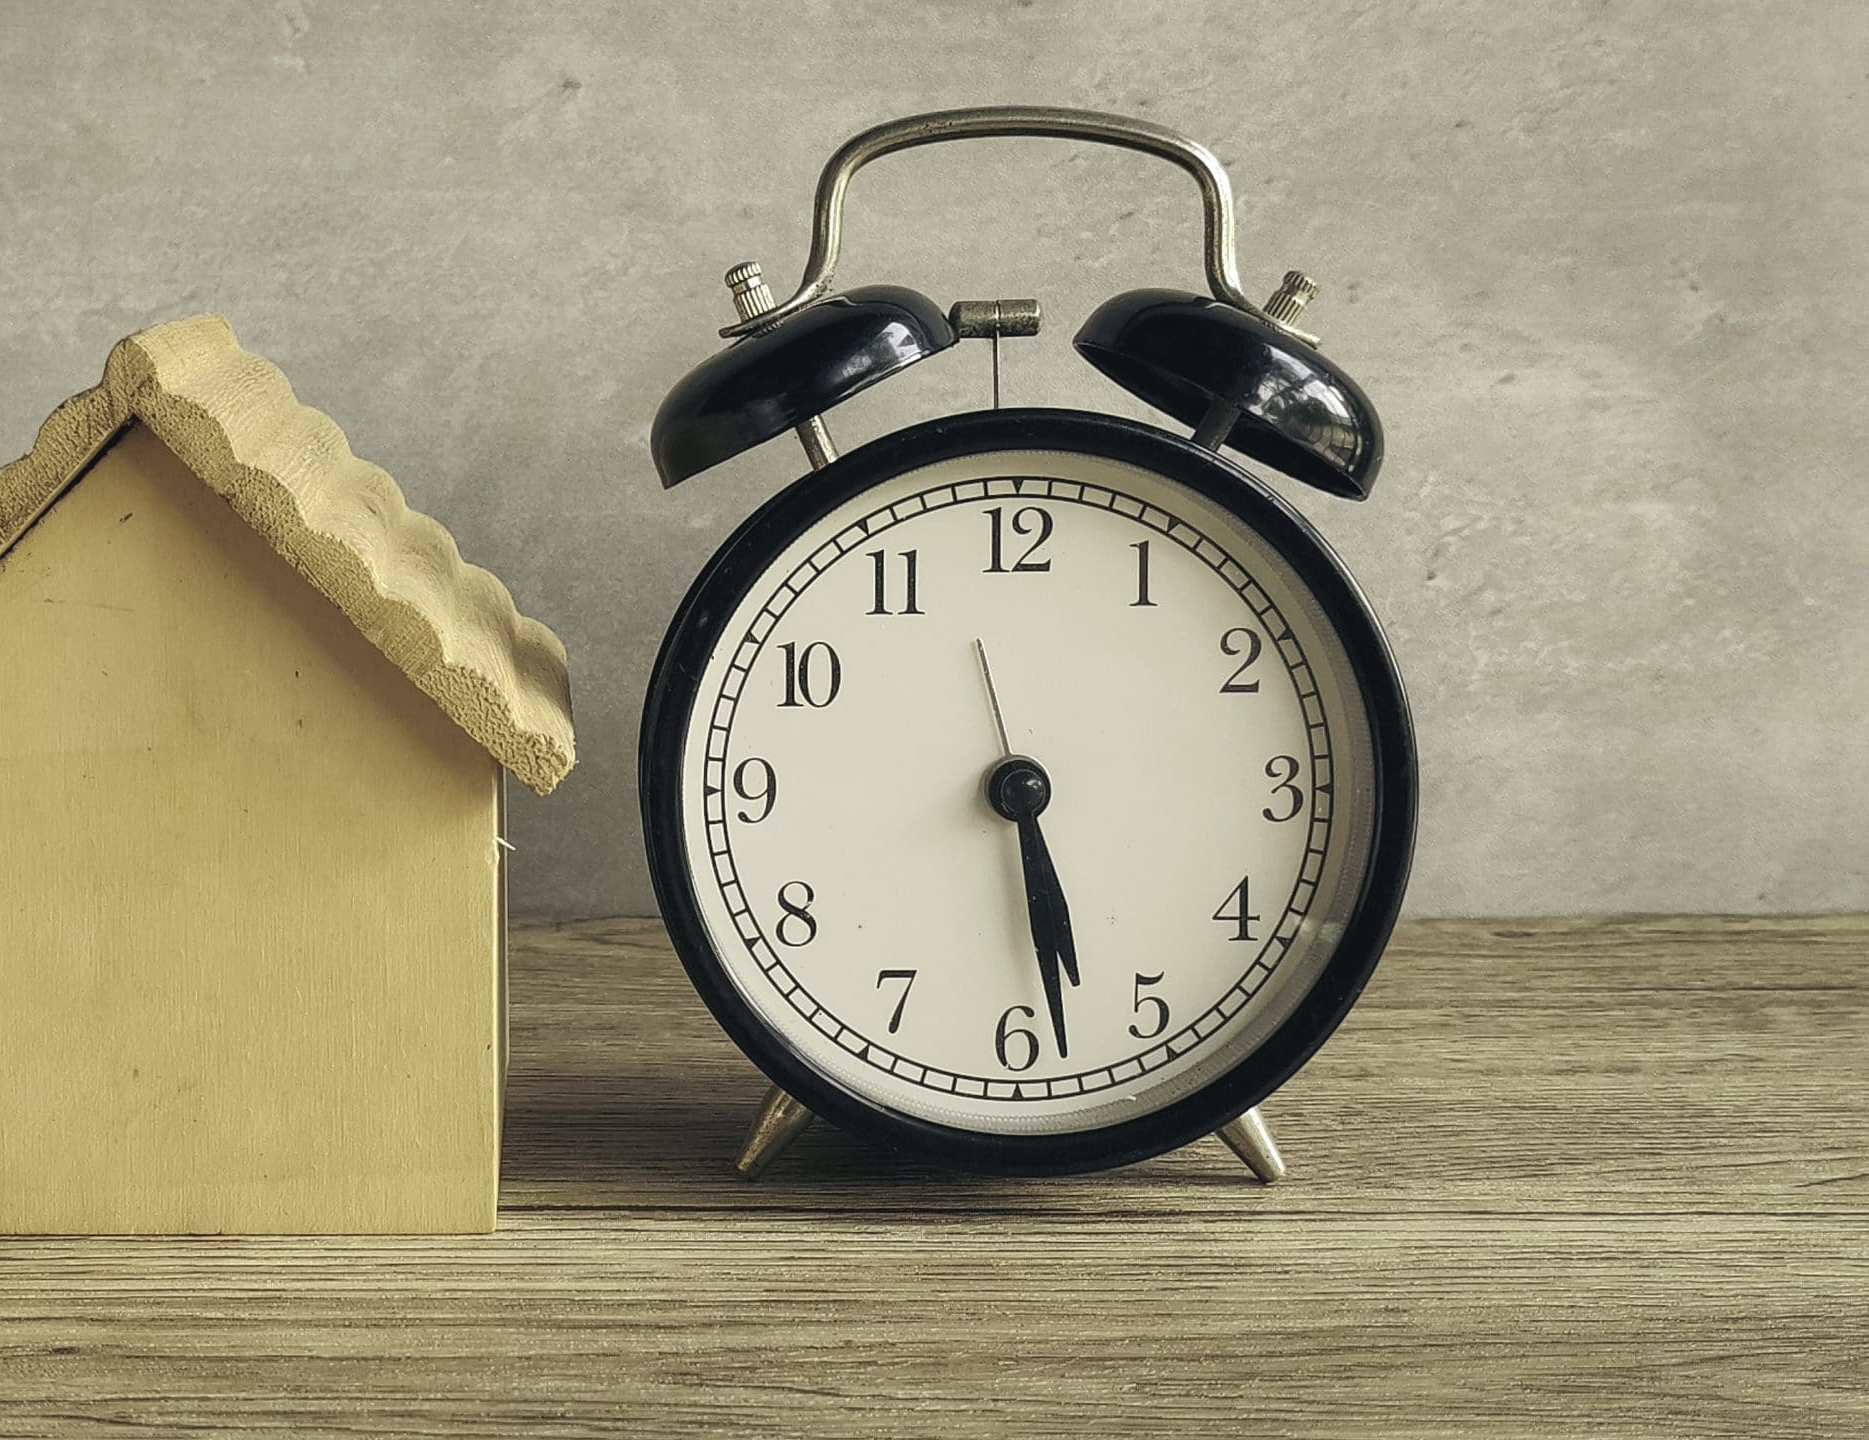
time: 5:28
